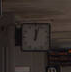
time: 12:02
